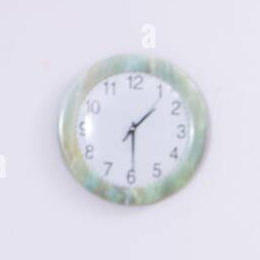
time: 1:29
